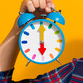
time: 6:00
